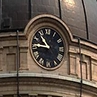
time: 10:45
